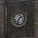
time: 1:33
